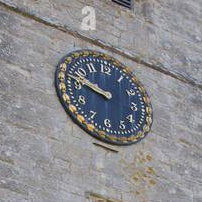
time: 9:47
